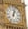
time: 1:02
